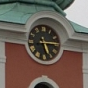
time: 5:14
